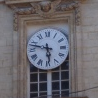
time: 5:47
